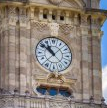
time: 10:51
